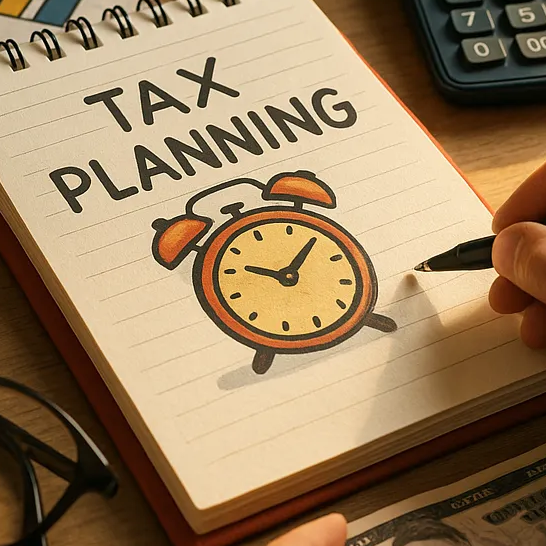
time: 9:05
